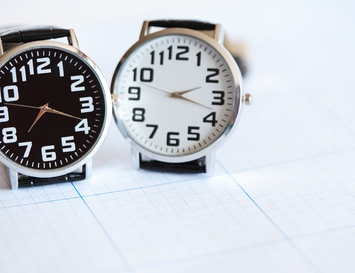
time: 2:18
